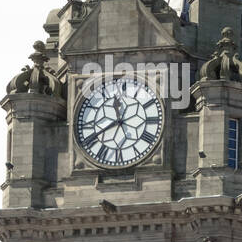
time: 11:40
